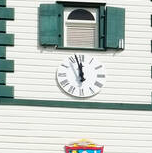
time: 11:57
